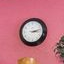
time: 3:13
